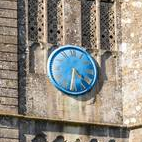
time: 4:31
